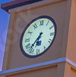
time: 6:36
